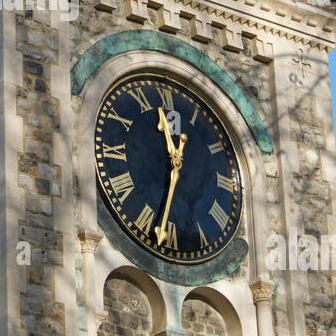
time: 11:32
